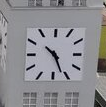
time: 10:26
